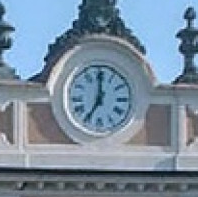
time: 7:00
